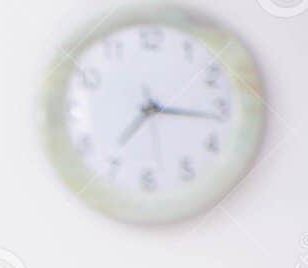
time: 7:16
